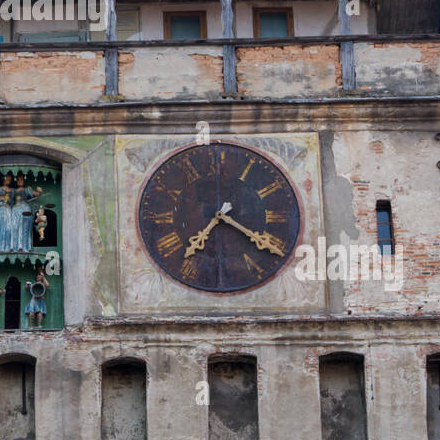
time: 7:20
